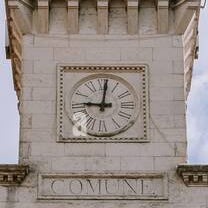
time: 9:01
